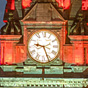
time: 9:26
